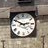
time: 2:50
